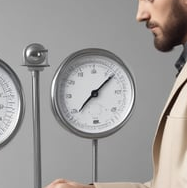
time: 7:07
